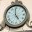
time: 4:59
